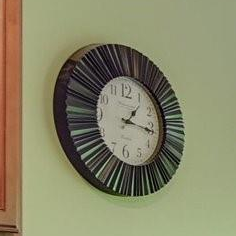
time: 1:16
